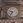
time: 9:34
